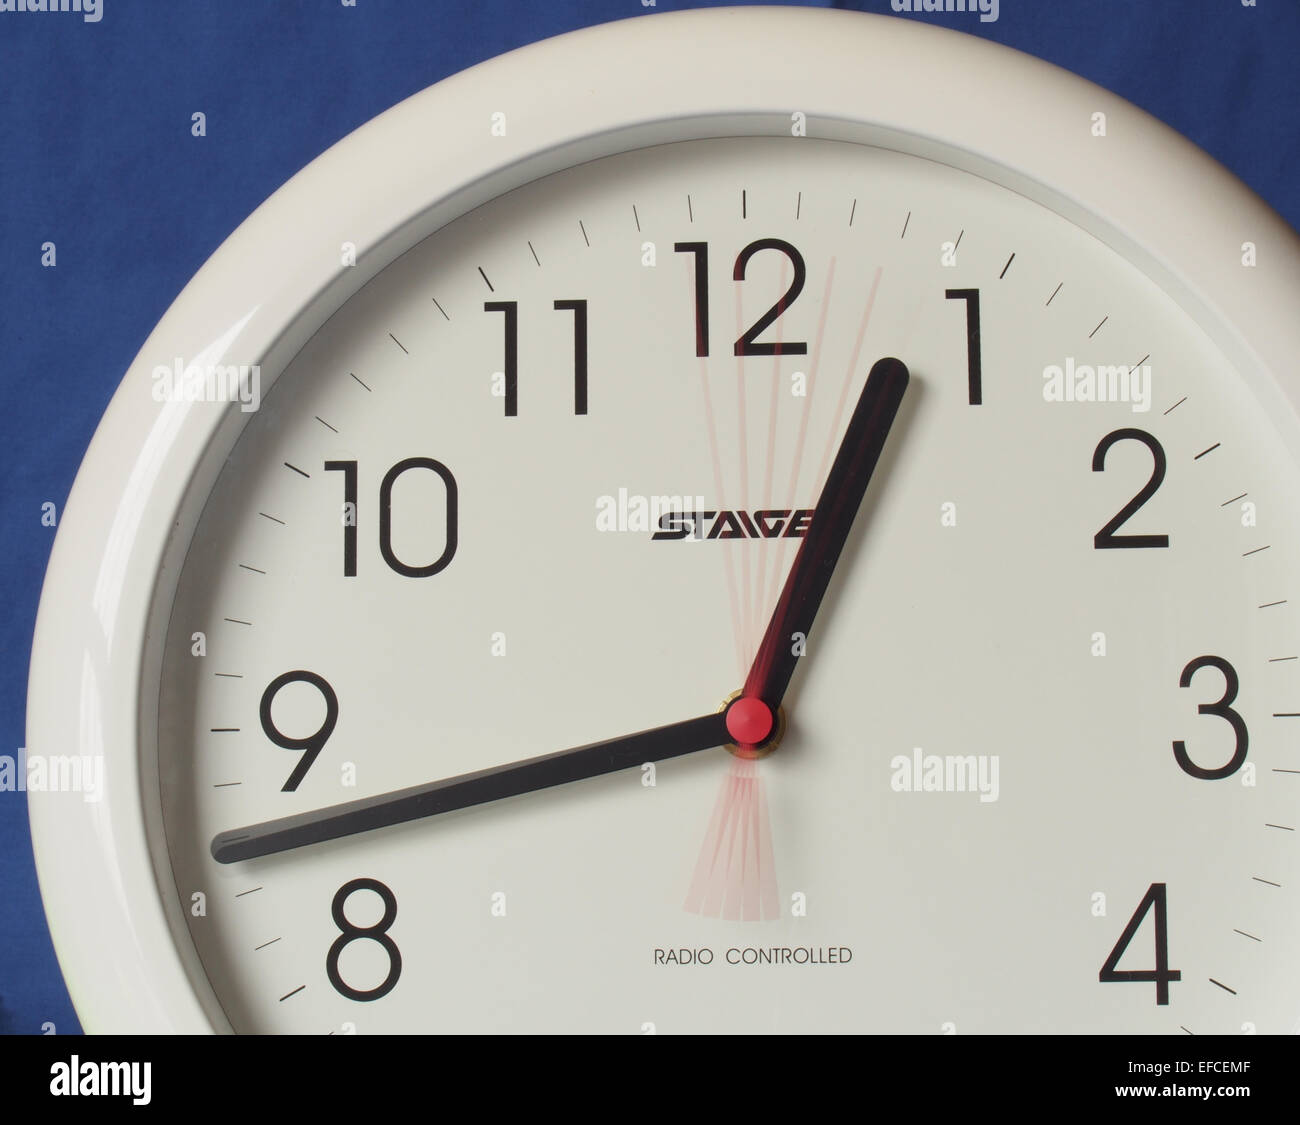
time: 12:42
